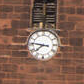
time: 7:46
